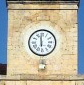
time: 5:59
